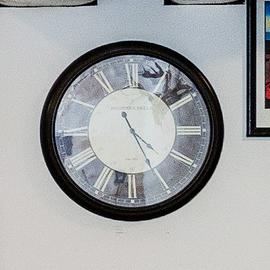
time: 4:25
